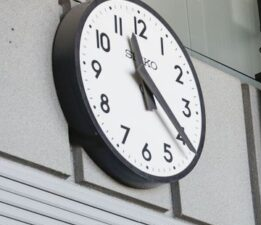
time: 11:20
